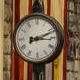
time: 3:11
